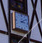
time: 3:09
